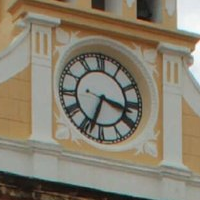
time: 3:33
